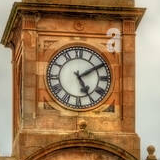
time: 5:09
